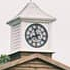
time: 11:41
